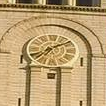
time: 7:09
